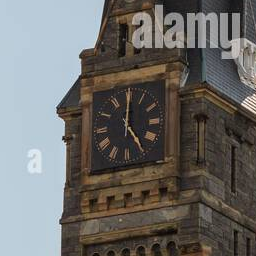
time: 5:00
